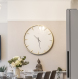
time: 10:28
